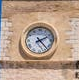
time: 2:23
